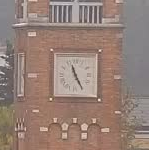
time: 11:25
